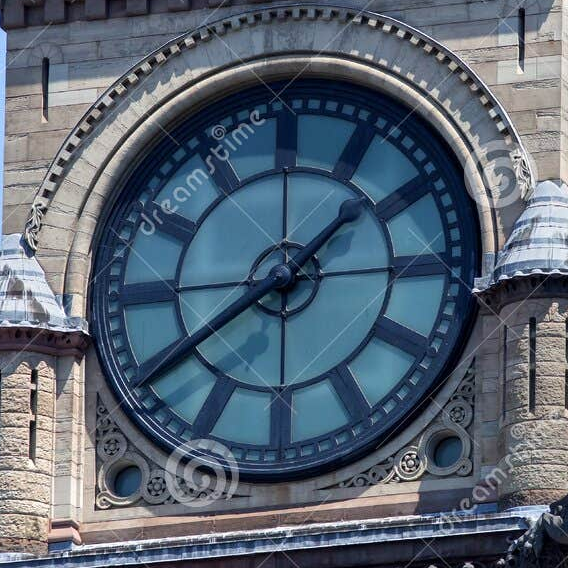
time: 1:39
